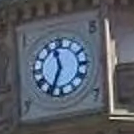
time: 11:34
